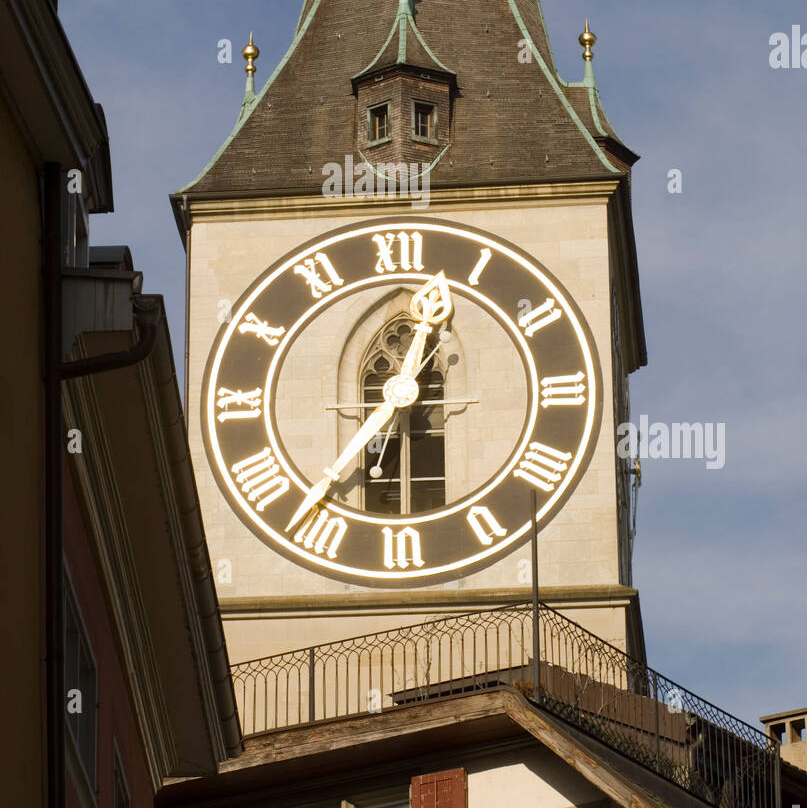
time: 12:36
